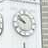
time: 9:52
